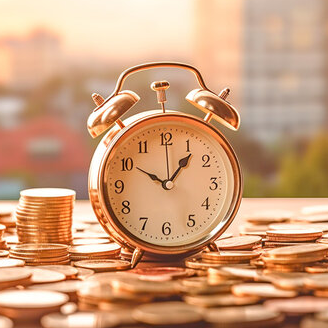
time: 10:06
